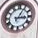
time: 3:05
